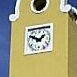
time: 1:49
